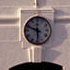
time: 5:48
